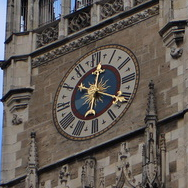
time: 12:19
